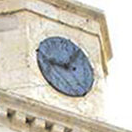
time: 9:07
